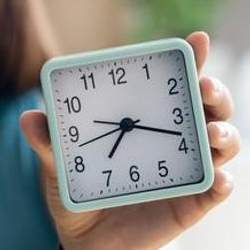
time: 7:18
